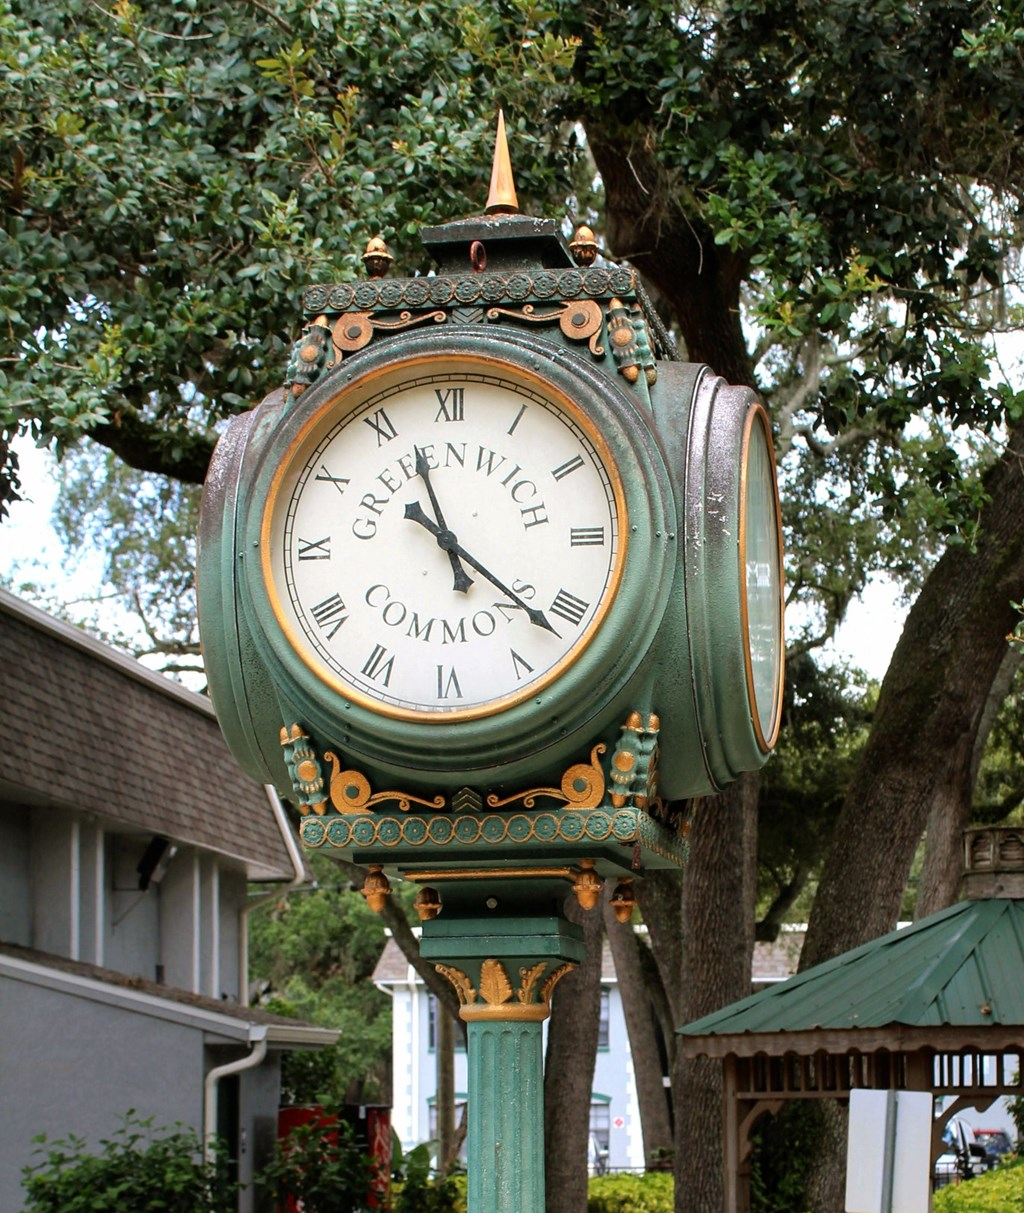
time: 11:21
